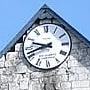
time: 9:42
